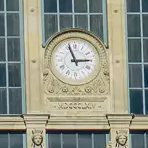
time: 2:56
